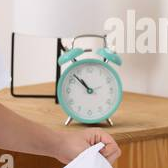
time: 10:52
